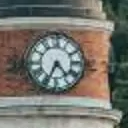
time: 4:34
